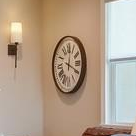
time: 12:19
